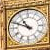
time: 10:48
